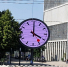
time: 4:00
